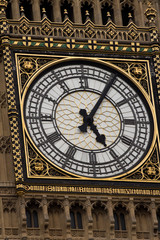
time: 5:05
